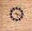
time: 5:18
